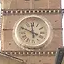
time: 11:48
